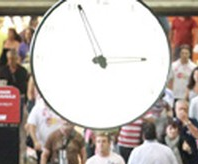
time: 2:55
